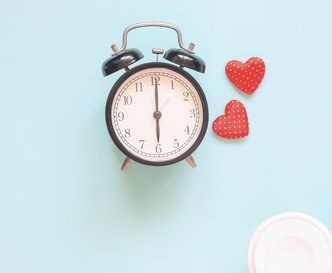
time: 6:00
